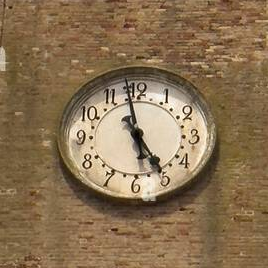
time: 4:58
